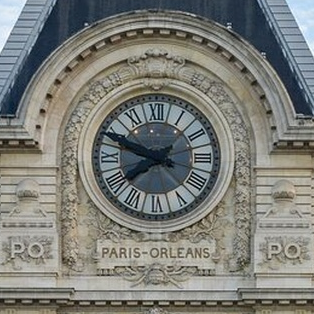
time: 7:48
